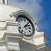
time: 2:06
